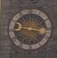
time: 9:16
